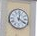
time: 4:01
